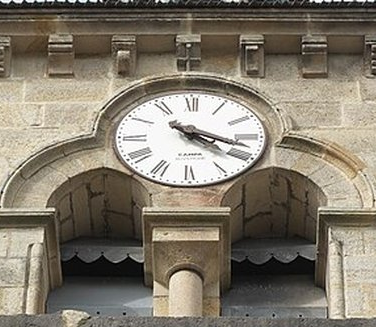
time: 4:18
